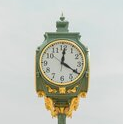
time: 12:20
